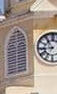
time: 10:43
